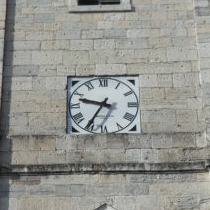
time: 9:35
